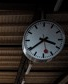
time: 3:39
